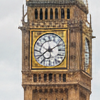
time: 8:11
